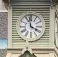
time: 3:58
